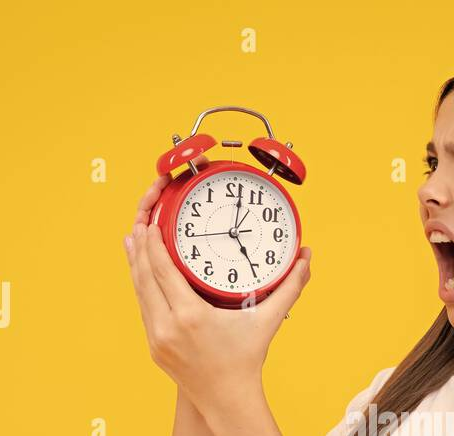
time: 5:01
